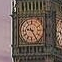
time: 9:24
